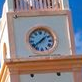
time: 1:38
